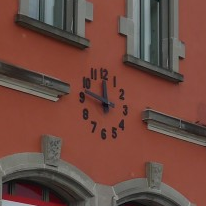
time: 11:47
